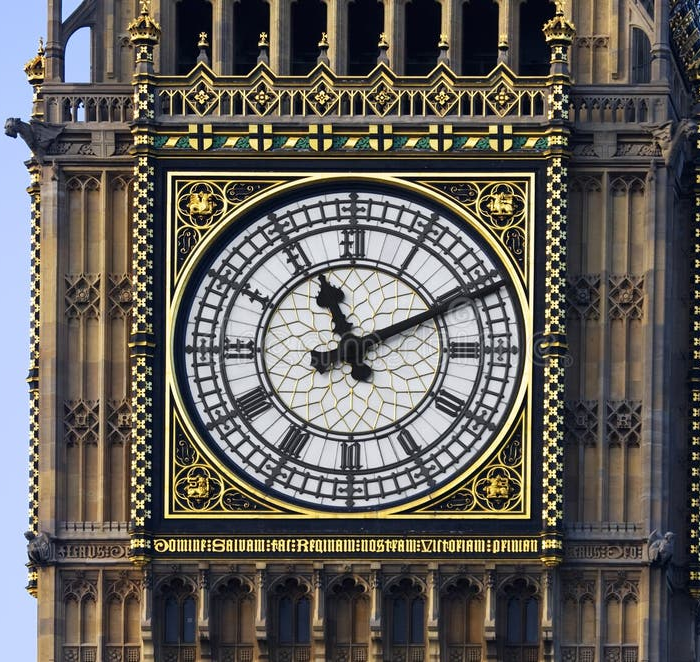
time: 11:10
